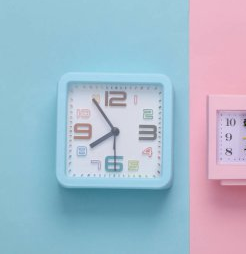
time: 7:54
